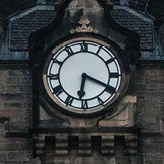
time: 6:19
